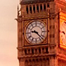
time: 9:22
